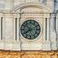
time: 7:52
